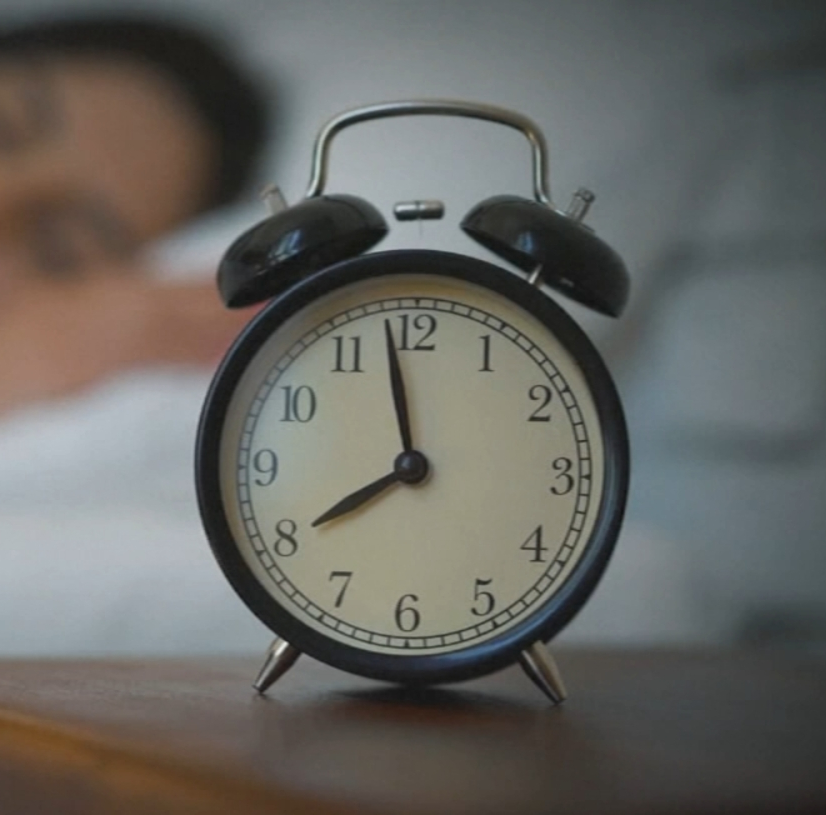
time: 7:58
